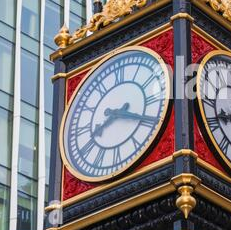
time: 8:19
